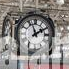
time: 1:56
